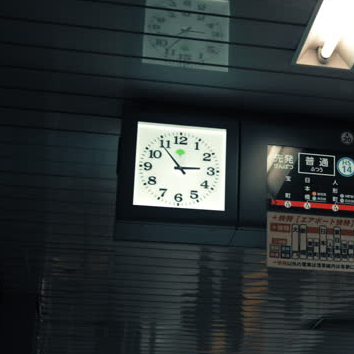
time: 2:53
